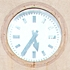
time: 5:35
